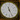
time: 11:25
